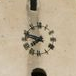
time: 7:47
